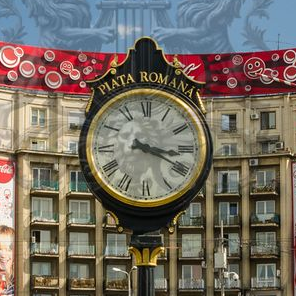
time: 3:19
